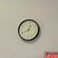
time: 12:40
